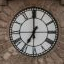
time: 6:59
